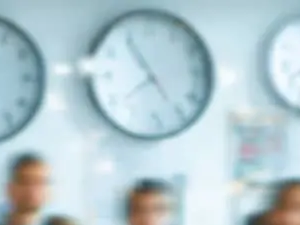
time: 7:54
